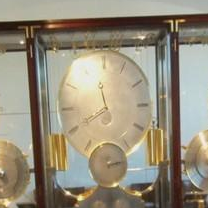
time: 11:40
